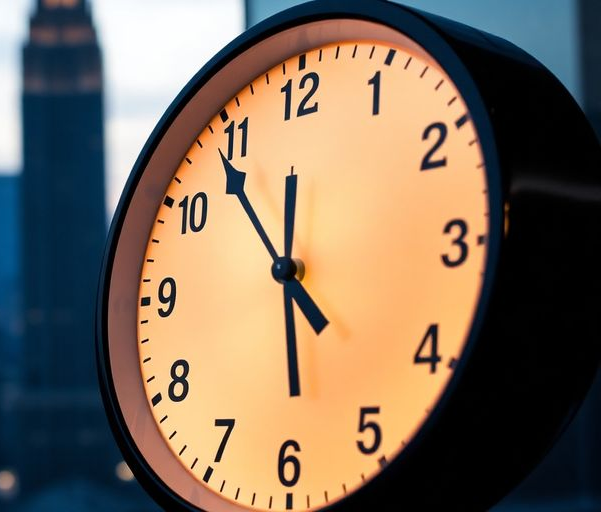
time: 5:53
